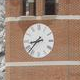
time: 8:37
